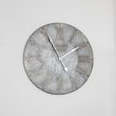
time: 1:55
